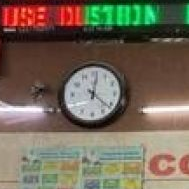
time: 12:21
